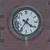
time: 4:35
